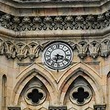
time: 6:18
